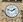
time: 1:47
